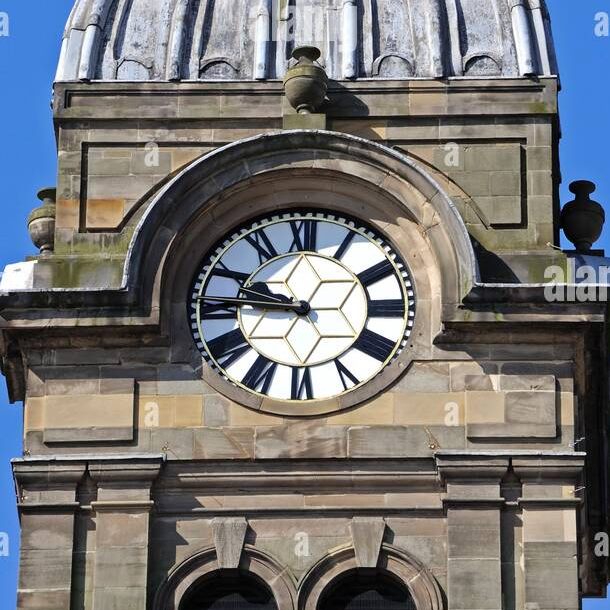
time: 9:45
